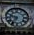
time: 9:36
